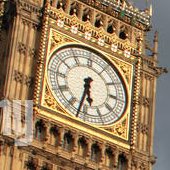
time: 5:32
